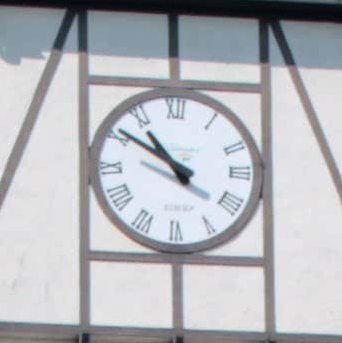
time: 10:50
